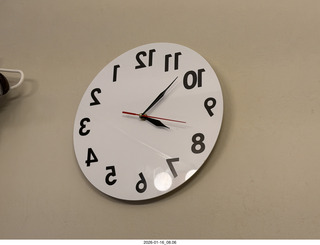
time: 4:07
